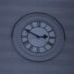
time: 2:49
